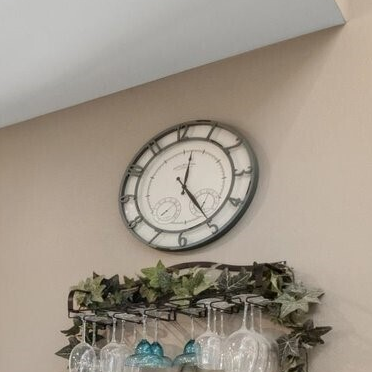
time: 12:24
